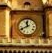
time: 11:40
